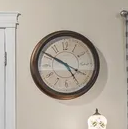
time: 4:50
